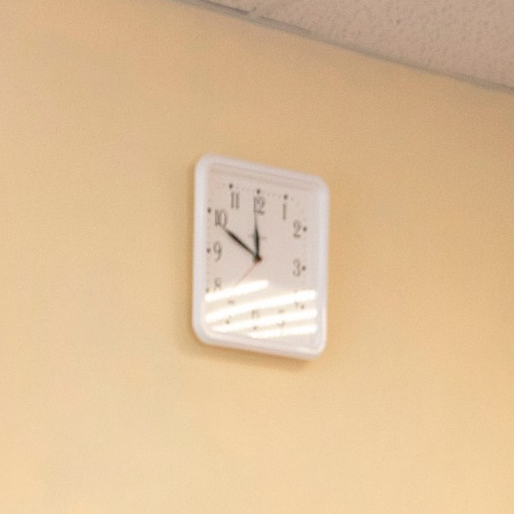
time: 11:49
